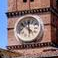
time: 11:51
